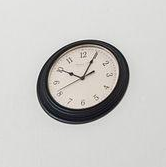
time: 10:04
